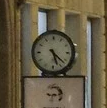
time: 5:22
